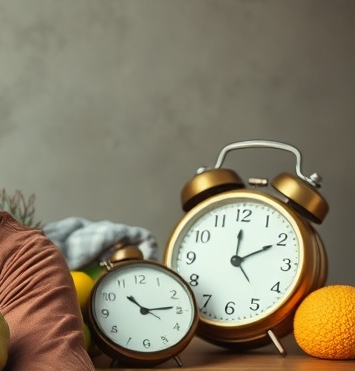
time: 2:00
